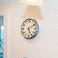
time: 5:09
